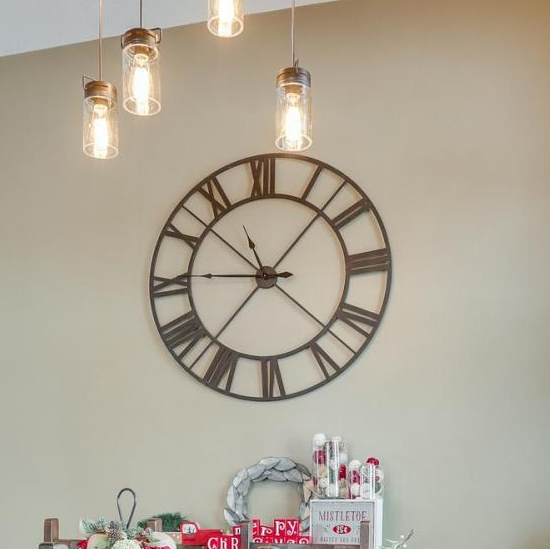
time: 9:07
